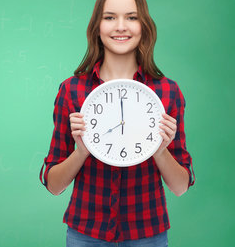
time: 7:59
